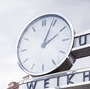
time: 2:04
